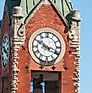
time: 3:50
